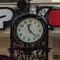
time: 11:22
